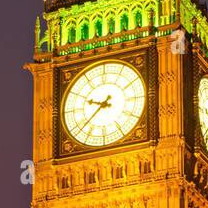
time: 9:38
